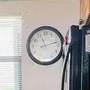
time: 11:12
